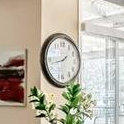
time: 1:42
